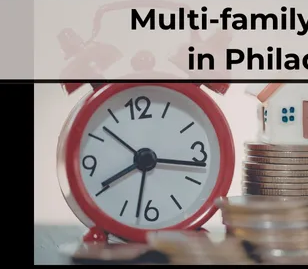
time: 8:16
